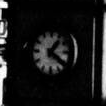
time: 1:20
